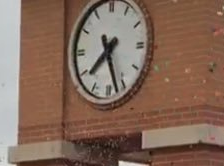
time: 7:27
